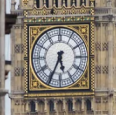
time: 5:34
